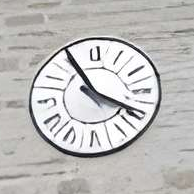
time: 3:54
